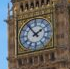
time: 1:54
